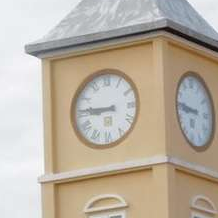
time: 8:45
